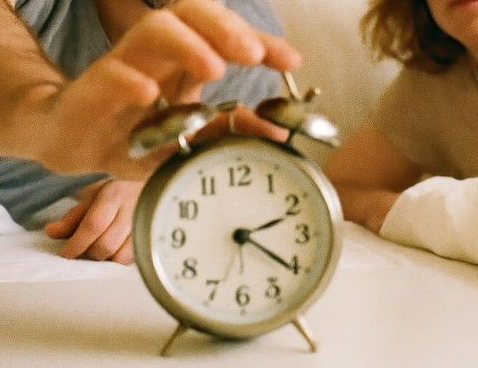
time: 2:20
